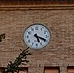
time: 5:18
